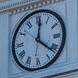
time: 12:21
